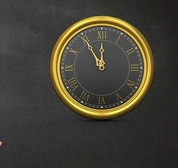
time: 11:54
